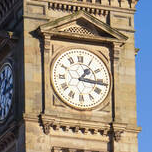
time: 1:16
